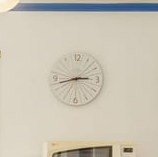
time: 2:42
